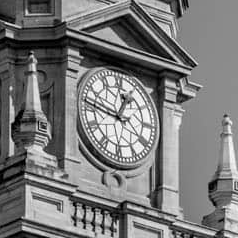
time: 12:46
